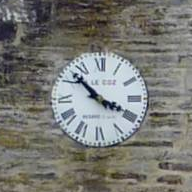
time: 3:52
